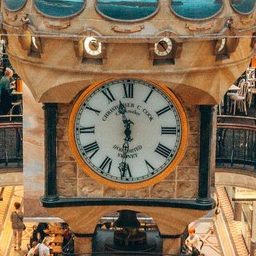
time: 11:31
